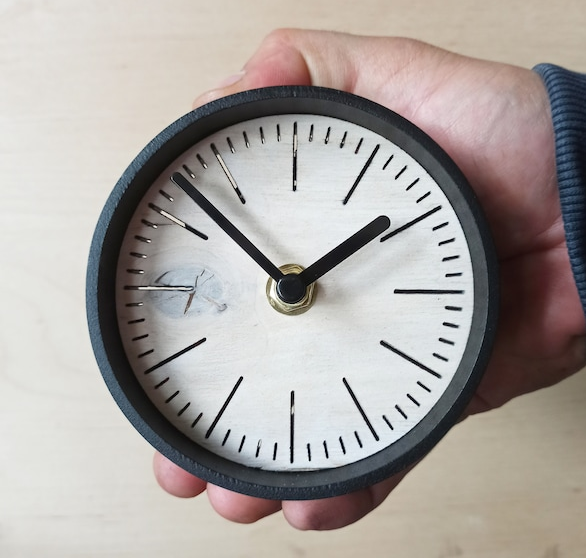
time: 1:52
